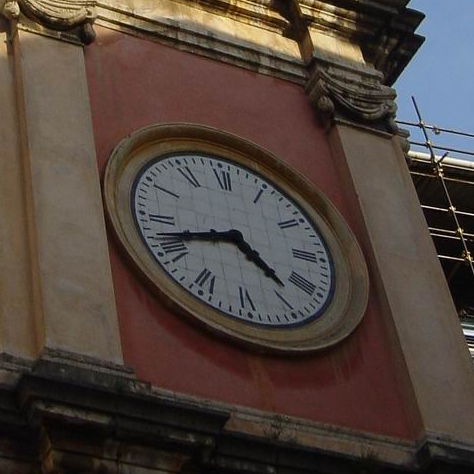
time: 4:42
